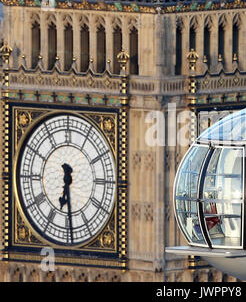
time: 6:29
